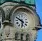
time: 5:49
